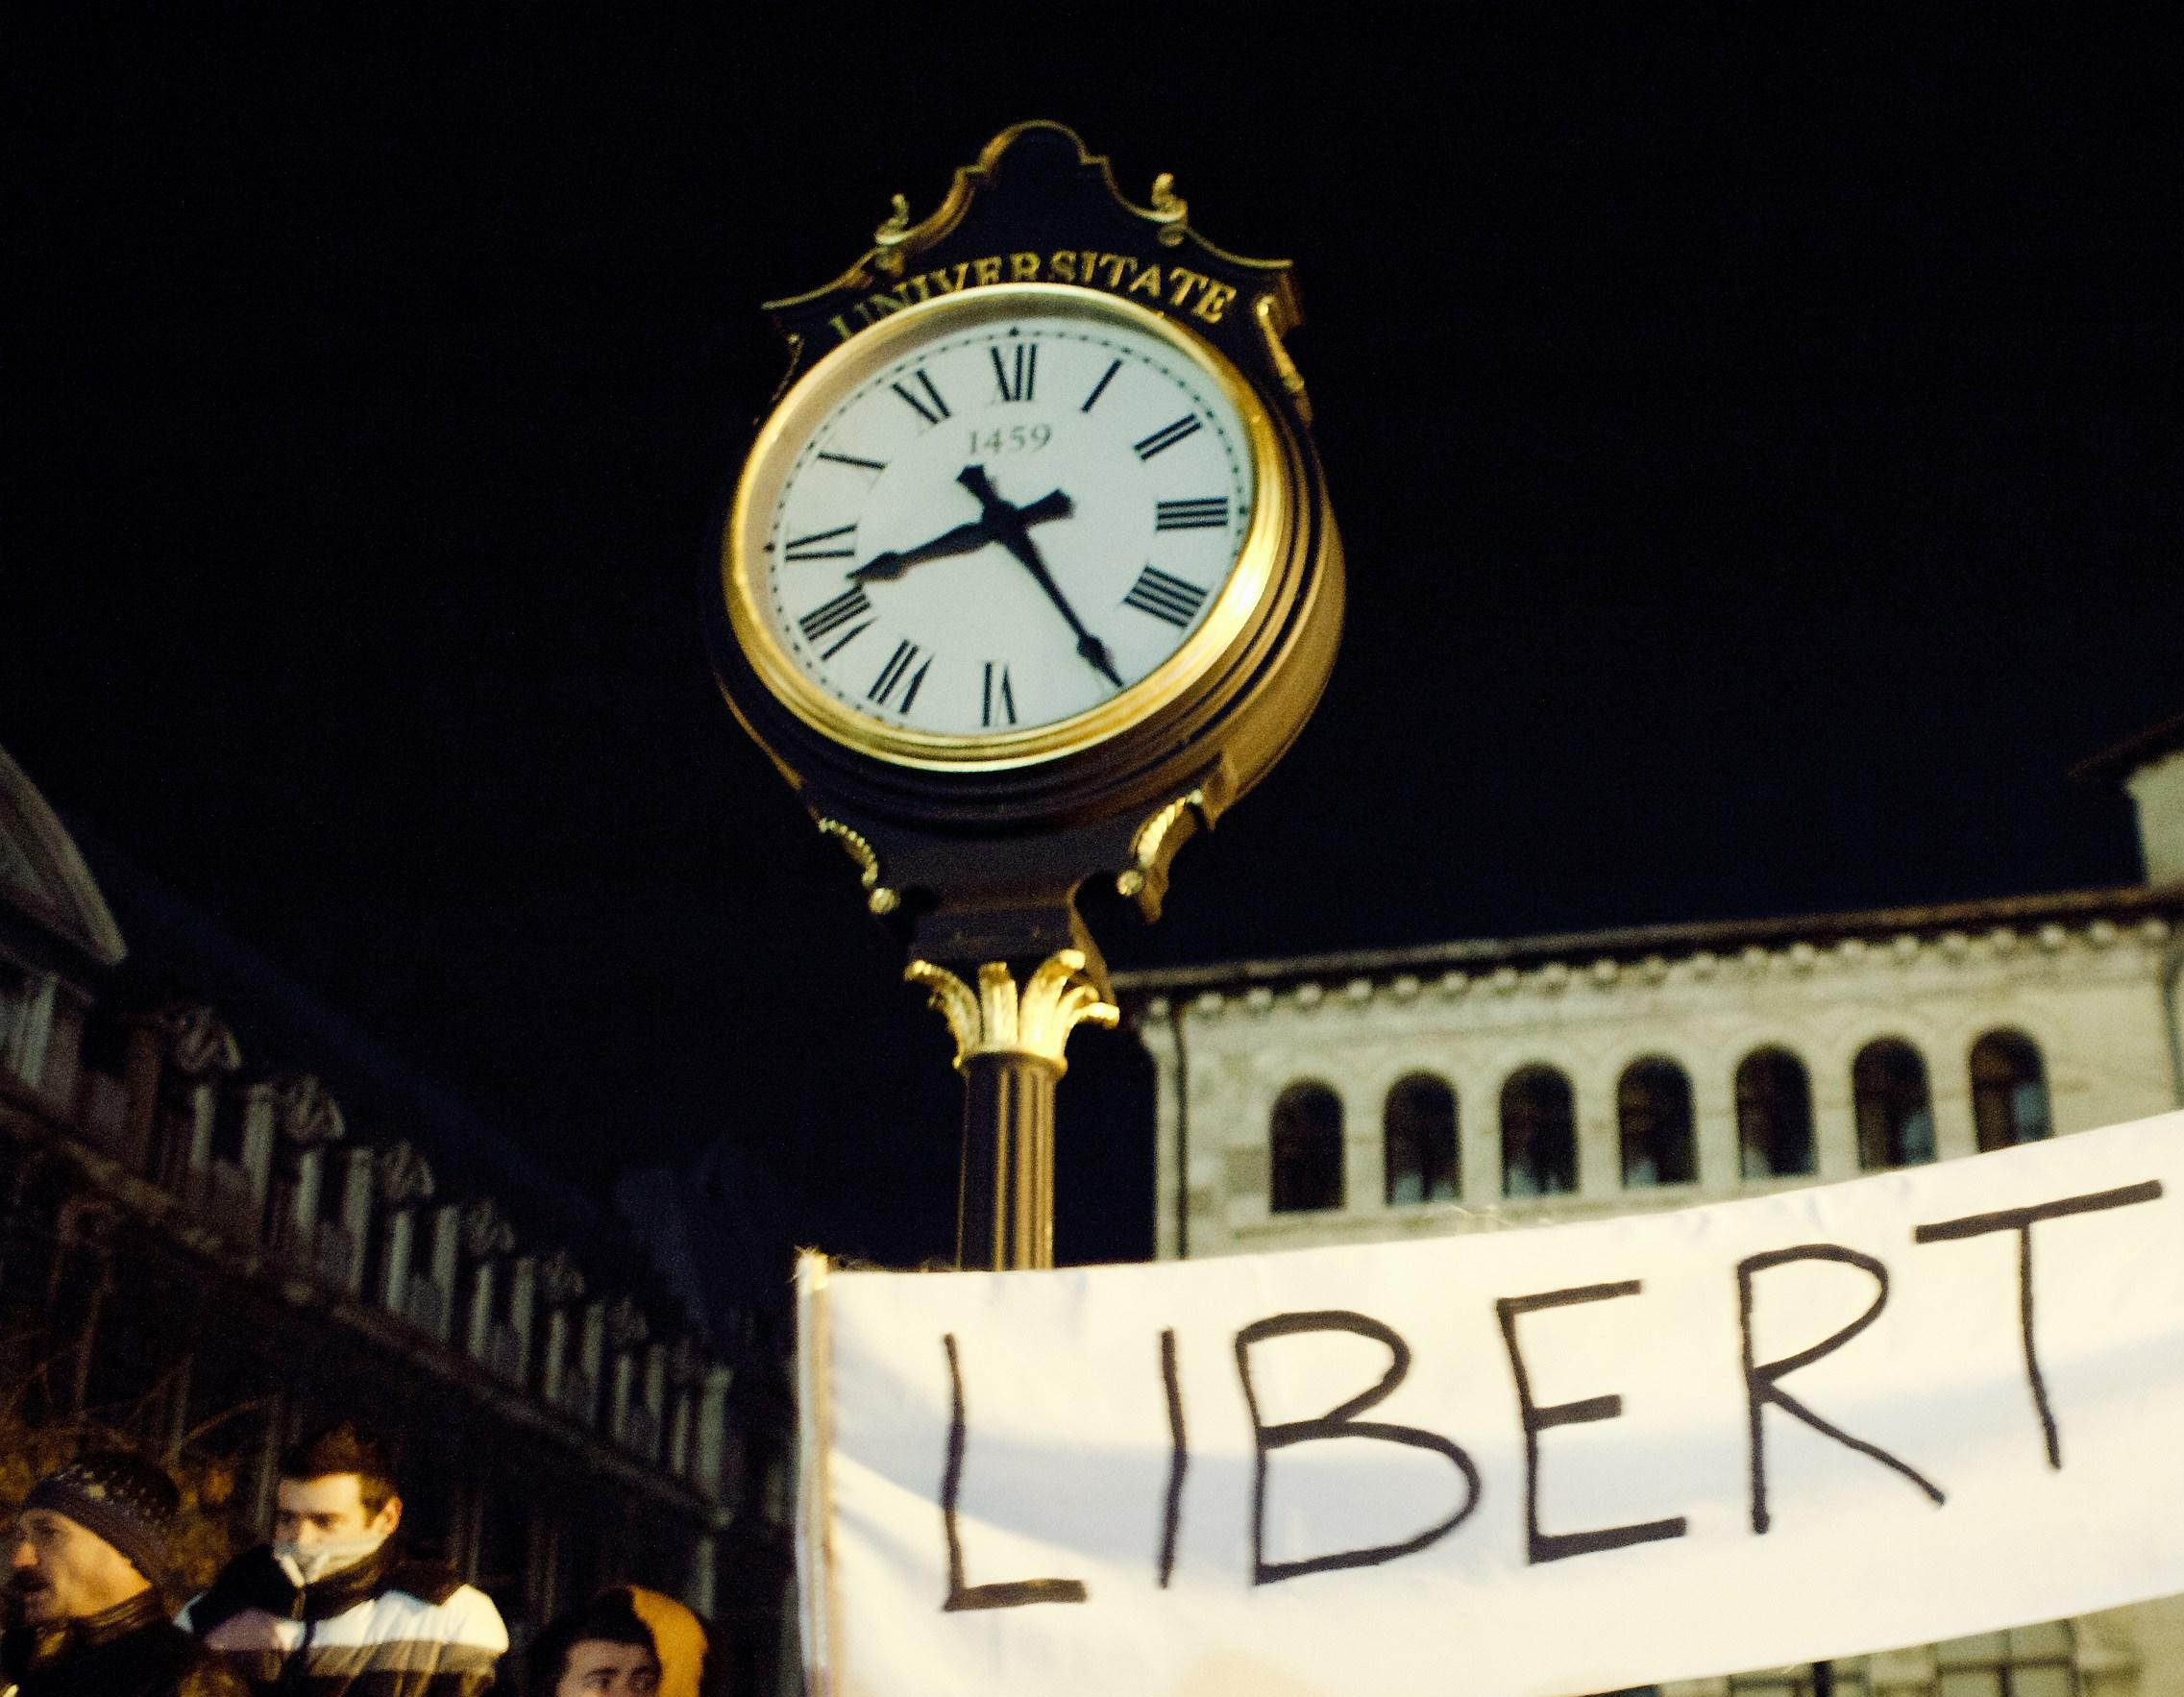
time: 8:24
